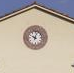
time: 10:02
